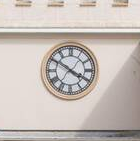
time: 3:50
